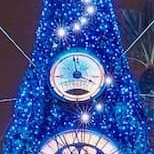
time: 3:58
